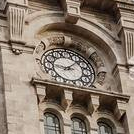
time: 9:07
